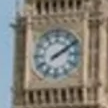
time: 2:09
